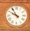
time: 9:54
